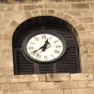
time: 12:39
